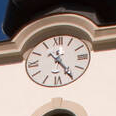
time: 12:24
